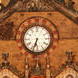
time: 6:33
